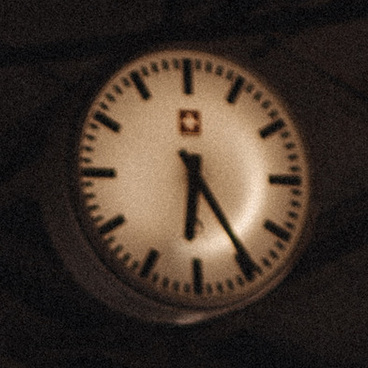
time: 6:24
